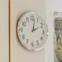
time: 2:01
